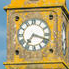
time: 7:18
